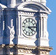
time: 4:13
